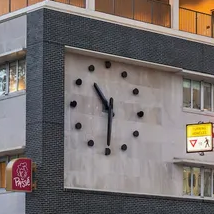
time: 10:30
